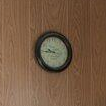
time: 9:44
